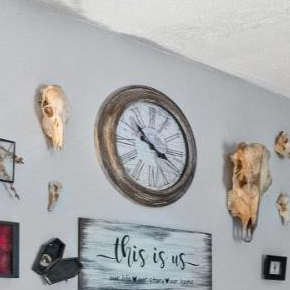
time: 3:52
